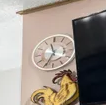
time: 11:34
